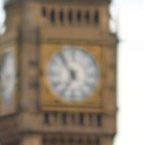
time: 6:54
